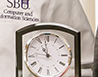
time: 10:58
